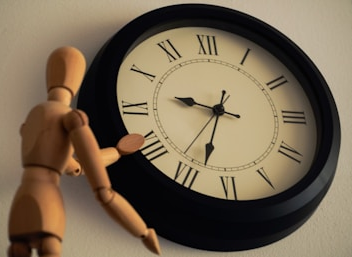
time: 9:33
